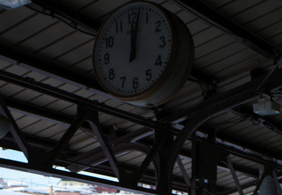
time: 12:02
